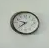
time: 9:39
